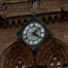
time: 4:07
